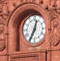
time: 12:34
